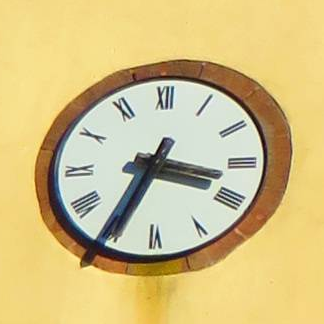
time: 3:34
